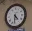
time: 4:31
